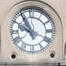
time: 9:54
